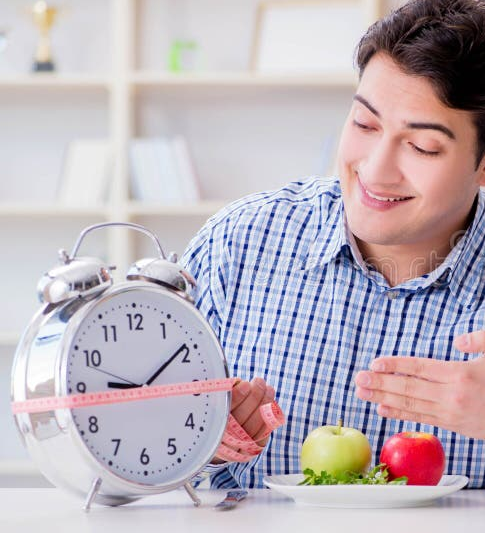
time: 9:09
